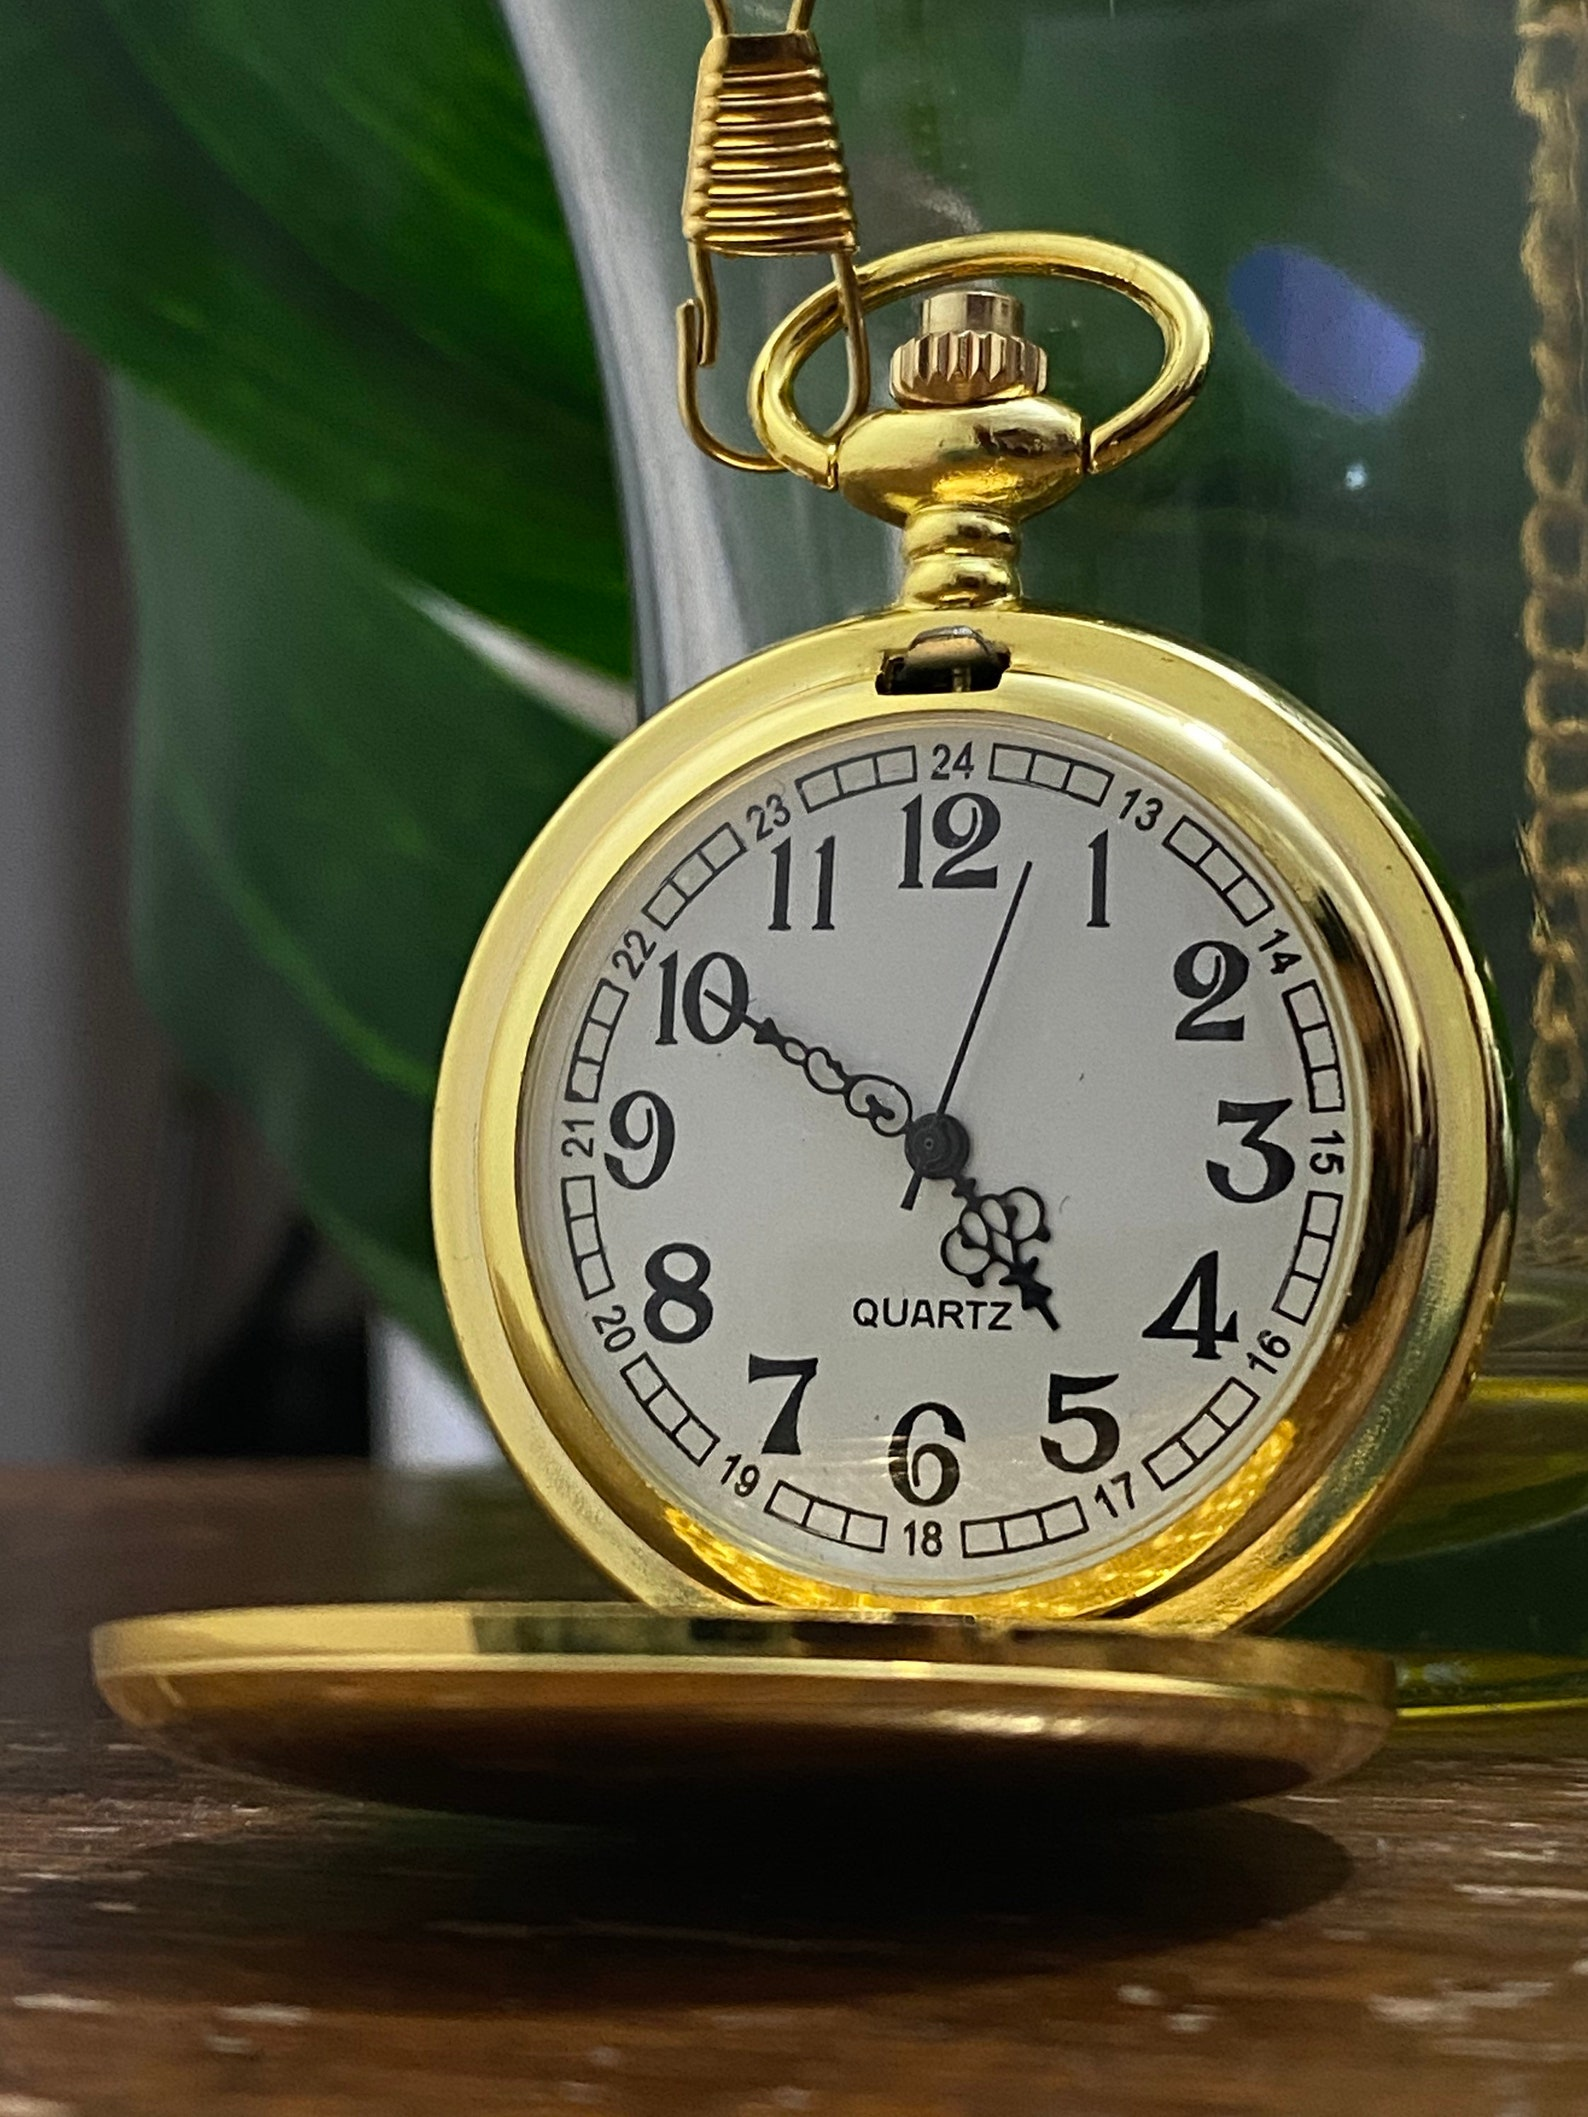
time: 4:50
